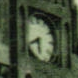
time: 5:40
